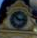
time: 2:52
